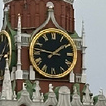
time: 1:46
